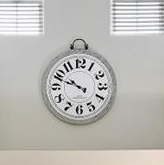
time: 9:48
